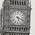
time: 5:18
